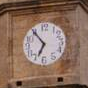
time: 6:54
